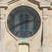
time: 2:40
